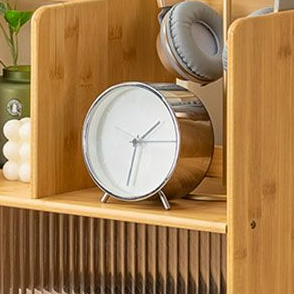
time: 1:32
